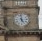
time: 4:59
